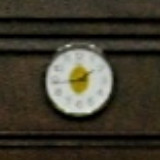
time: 1:43
